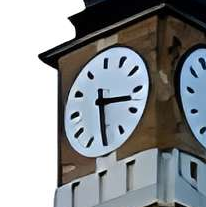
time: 3:29
